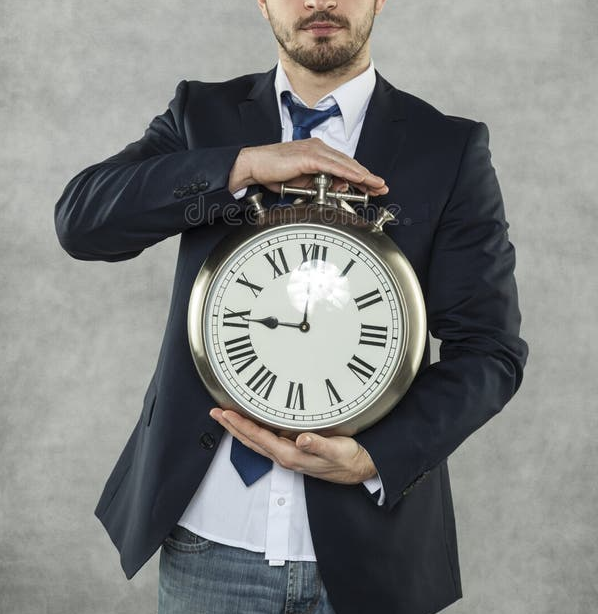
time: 11:45
